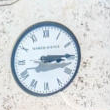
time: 3:14
